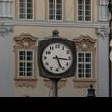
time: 5:16
